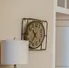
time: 10:34
